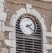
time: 2:21
